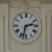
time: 2:32
